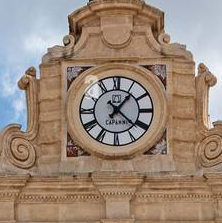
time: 1:21
